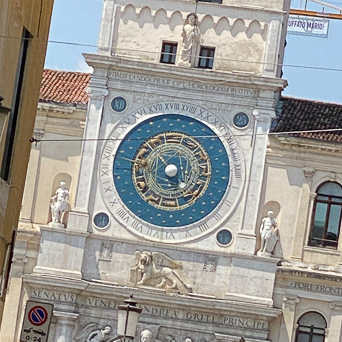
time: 4:52
